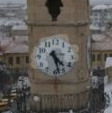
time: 4:27
